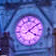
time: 4:09
